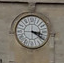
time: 3:20
